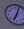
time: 7:04
